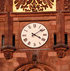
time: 4:08
